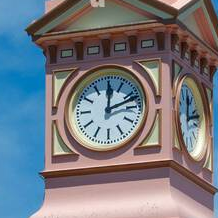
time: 12:11
